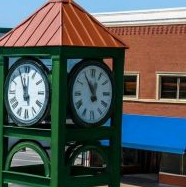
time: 11:54
